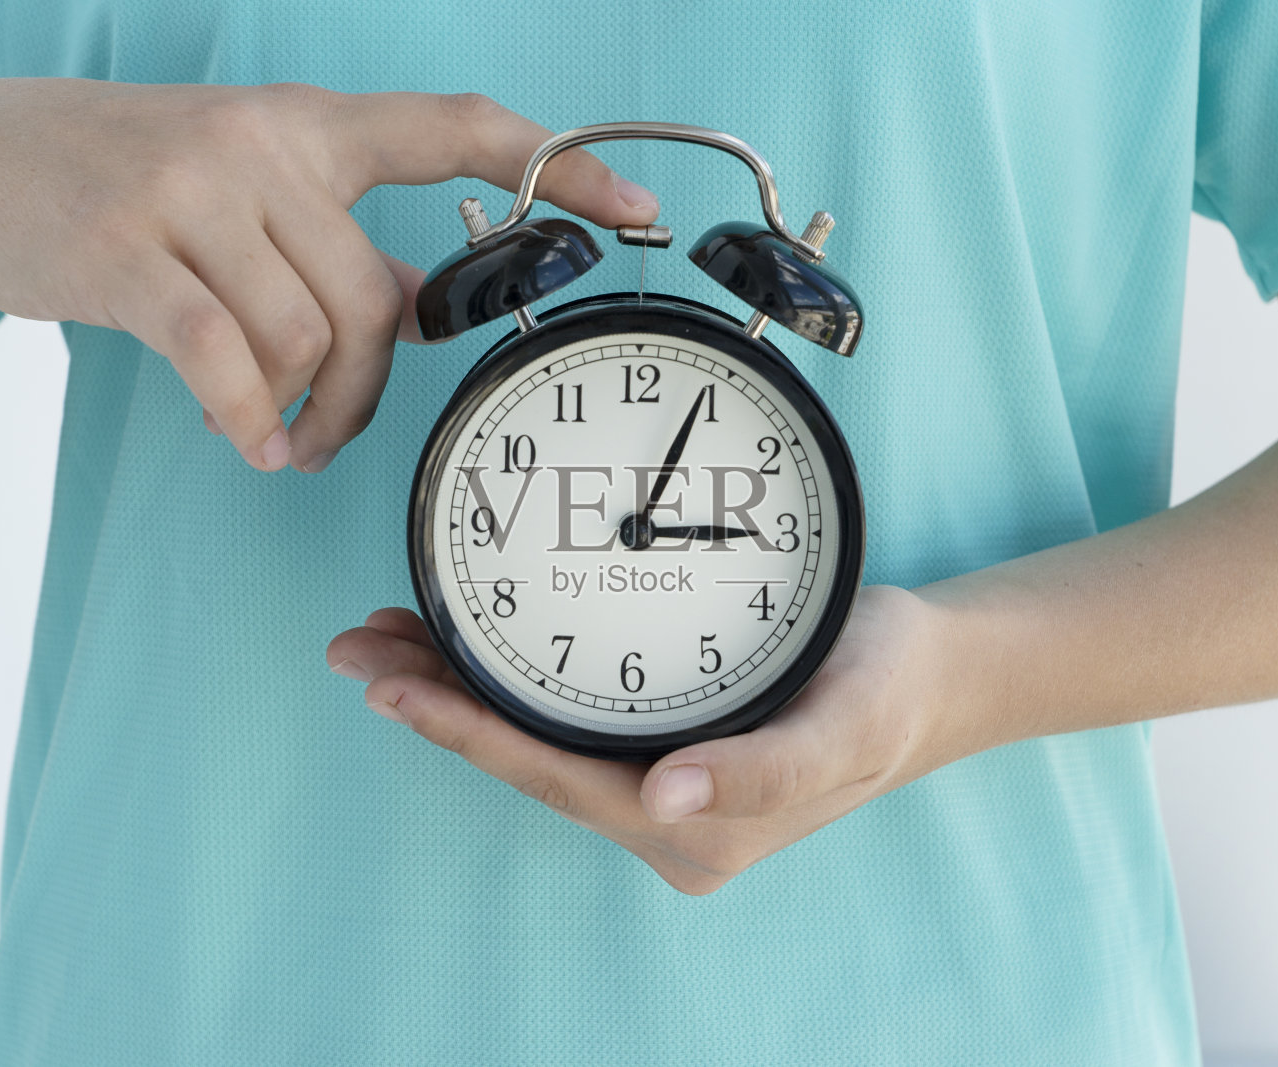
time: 3:04
